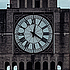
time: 12:20
